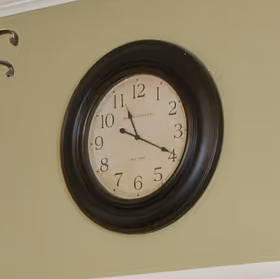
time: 11:19
